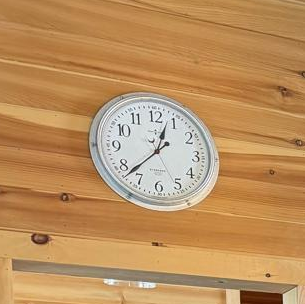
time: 12:37
